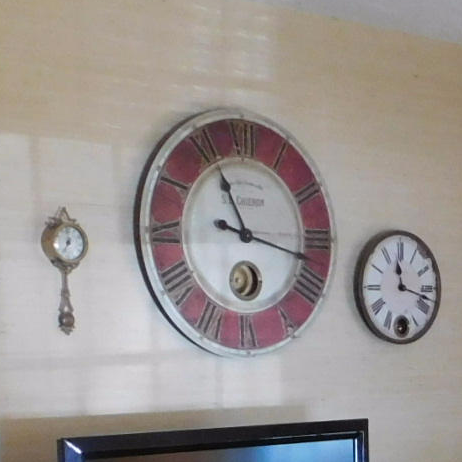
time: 11:17
